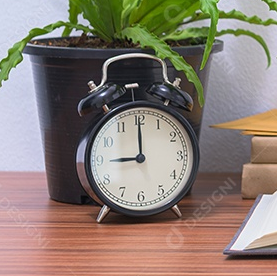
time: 9:00
